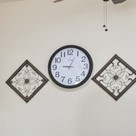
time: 9:04
